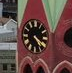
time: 4:20
